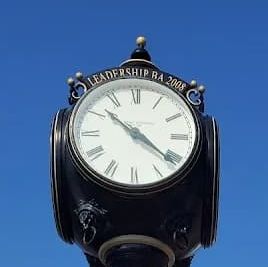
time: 10:21
